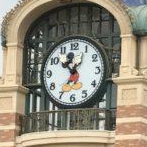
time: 10:35
